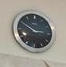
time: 2:50
